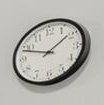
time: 1:48
